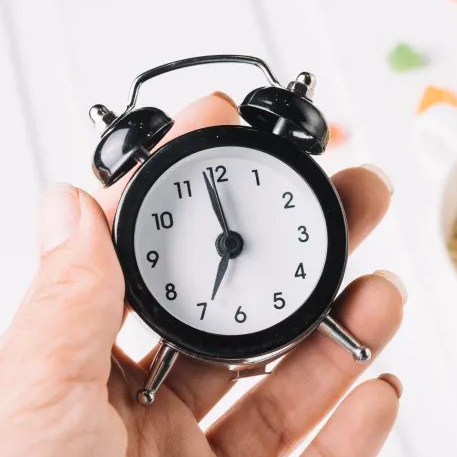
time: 6:58
